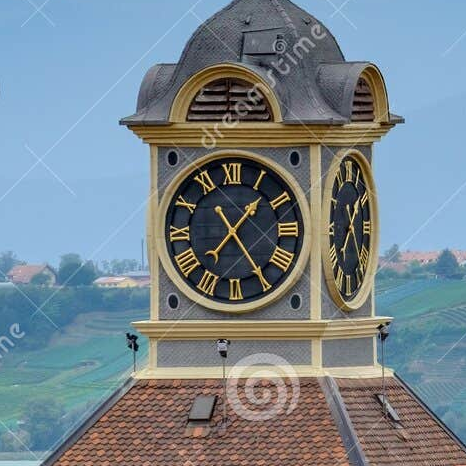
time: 1:24
